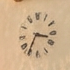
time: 3:35
